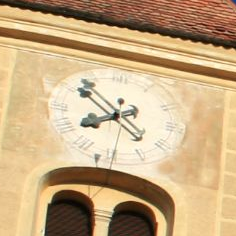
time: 7:52
